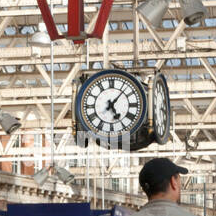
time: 5:06
